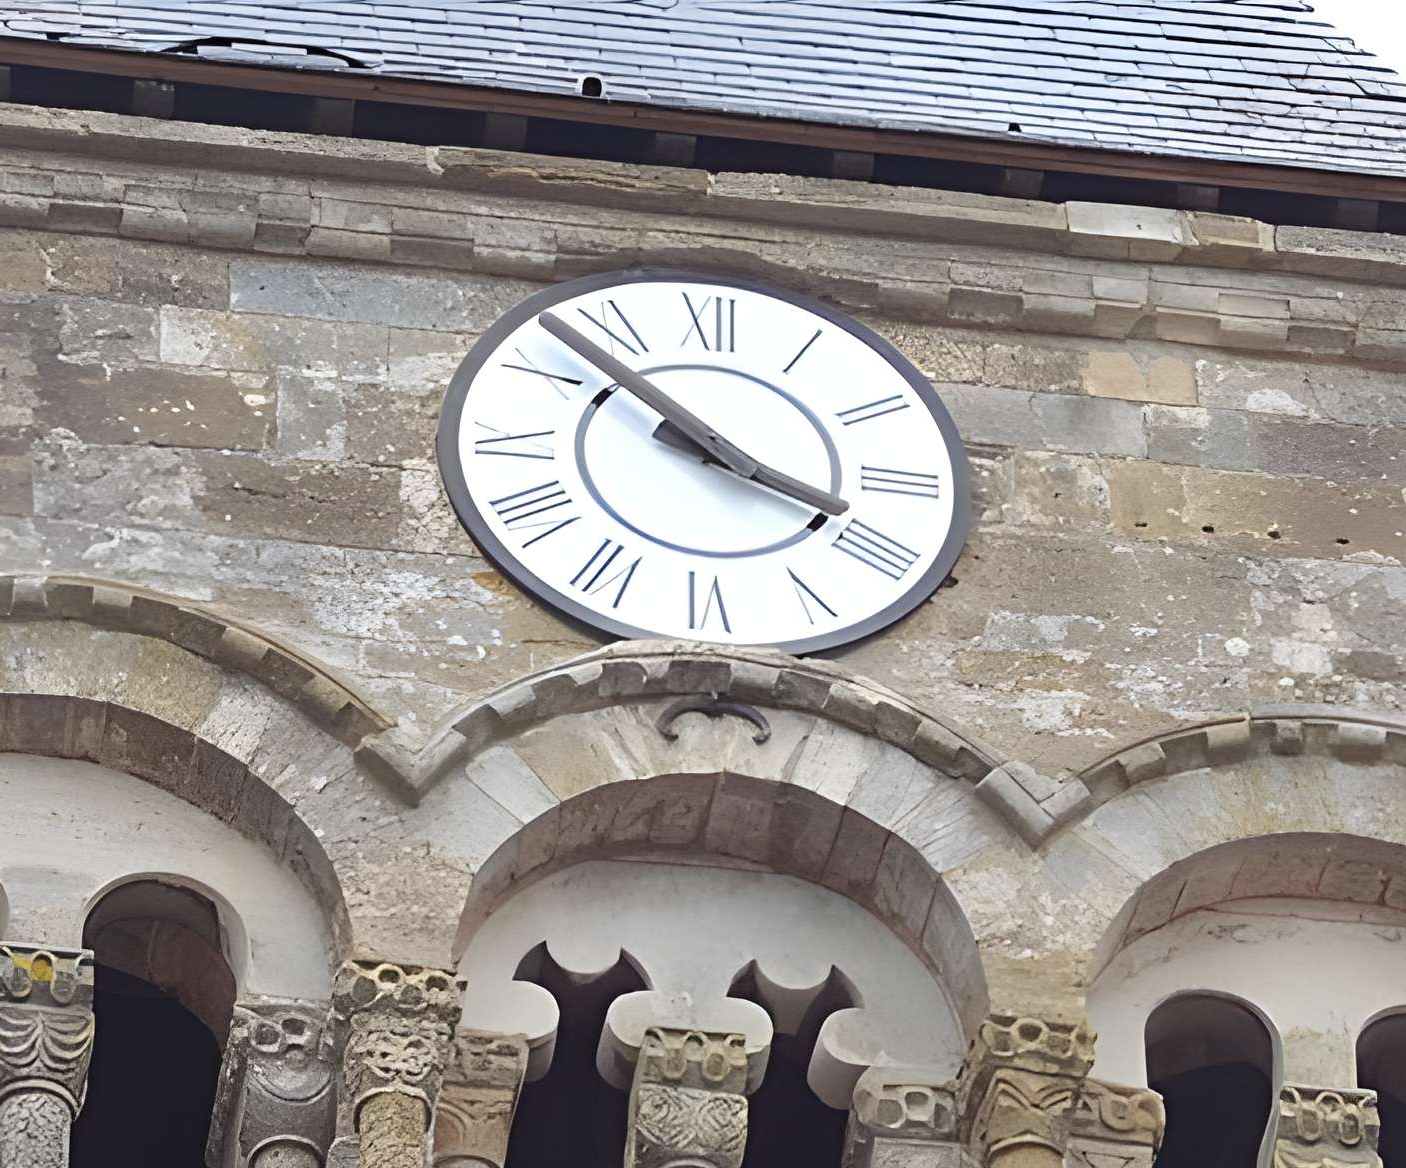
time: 3:52
